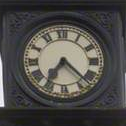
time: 7:22
